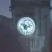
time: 5:12
